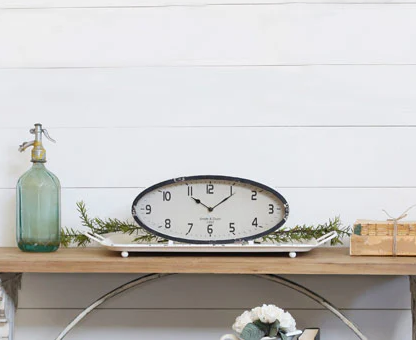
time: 11:07
